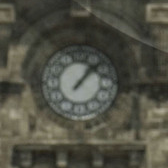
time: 1:07
